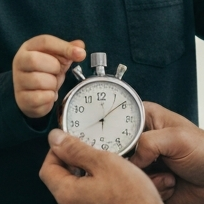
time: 12:08
